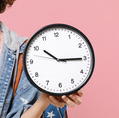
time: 10:14
